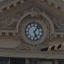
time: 5:06
